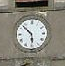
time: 5:51
